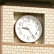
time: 9:23
